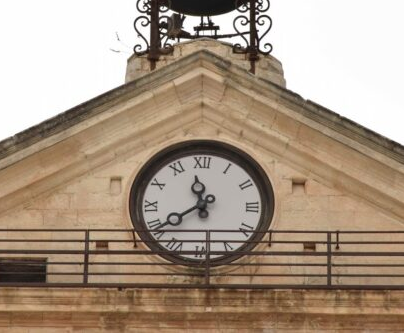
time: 11:39
